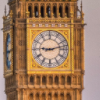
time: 9:12
